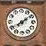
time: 8:08
